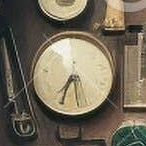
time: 6:28
